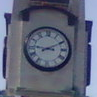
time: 9:10
